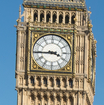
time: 3:44
